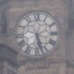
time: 5:26
